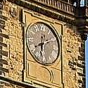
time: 6:10
